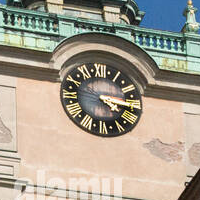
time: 4:16
